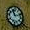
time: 11:12
